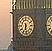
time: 6:28
